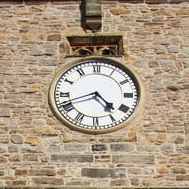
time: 4:41
